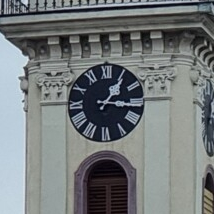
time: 1:16
